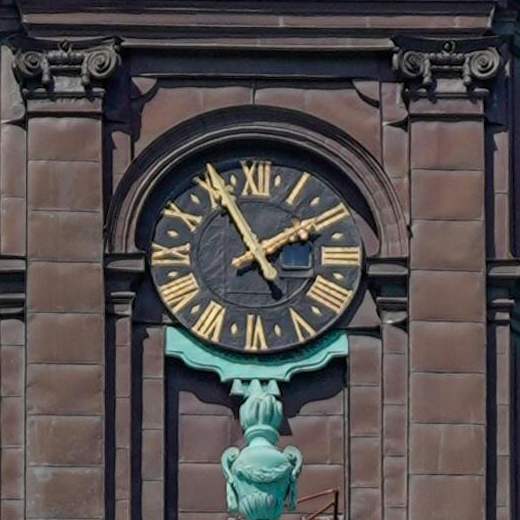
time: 1:54
